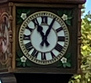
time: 11:04
